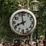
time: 11:41
